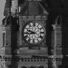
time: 9:43
